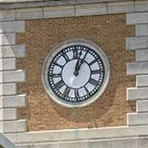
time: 1:02
